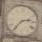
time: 2:36
